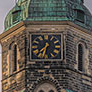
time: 7:32
